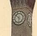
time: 5:51
